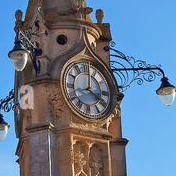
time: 4:01
